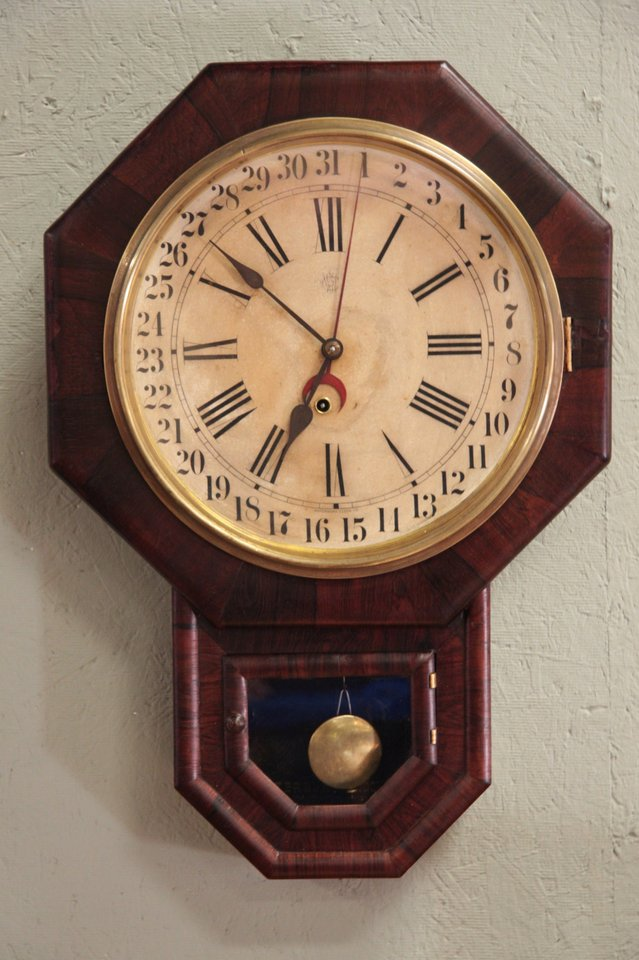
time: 6:52
